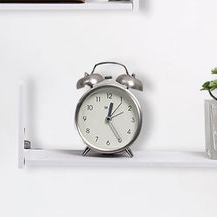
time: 12:24
